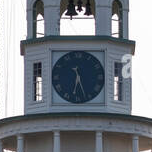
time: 6:27
